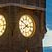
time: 7:50
